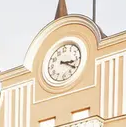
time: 3:20
